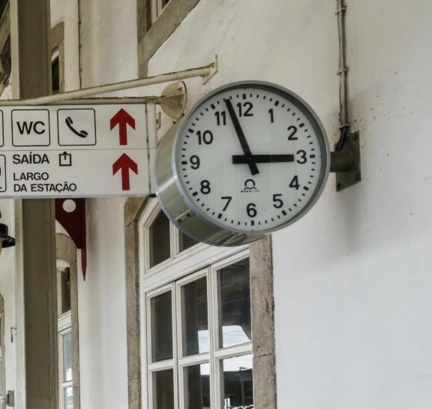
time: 2:57
